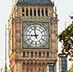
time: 8:57
